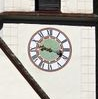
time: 9:18
